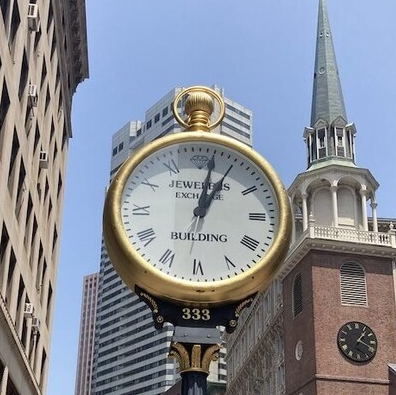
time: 1:02
